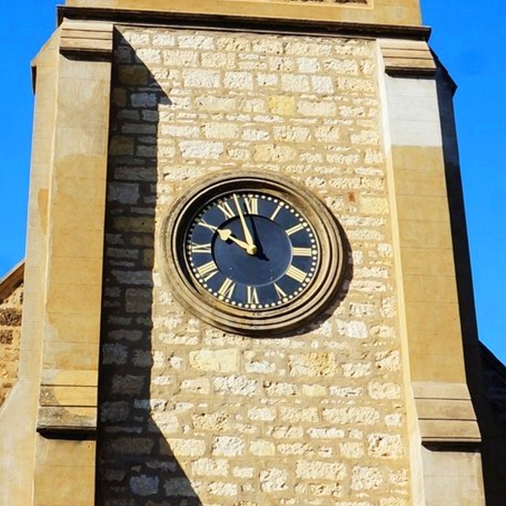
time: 9:57
